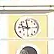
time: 11:46
